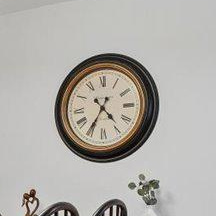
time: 4:35
